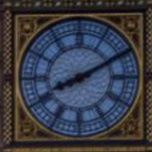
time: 8:10
